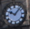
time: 10:07
